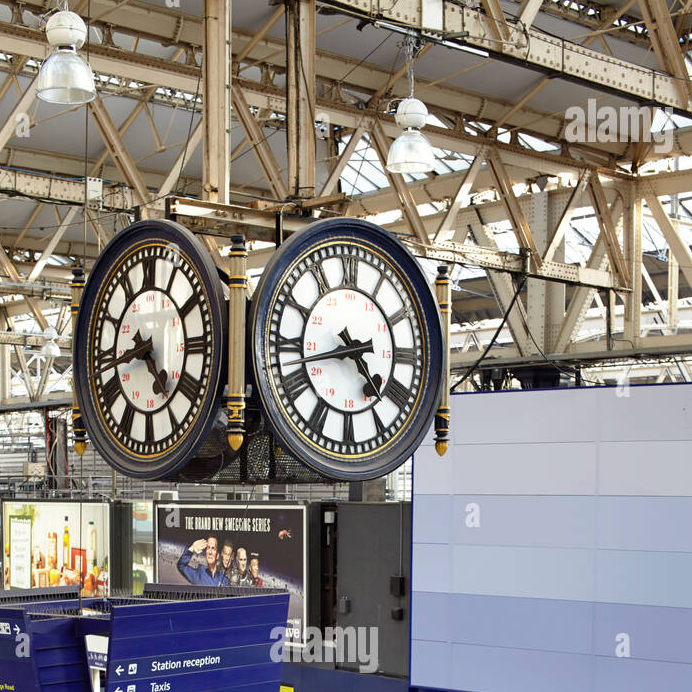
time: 4:42
